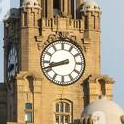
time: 8:41
